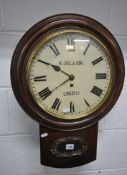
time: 7:50
